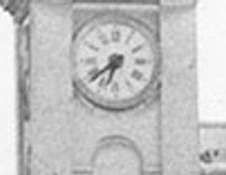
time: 6:38
